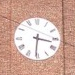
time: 3:30
